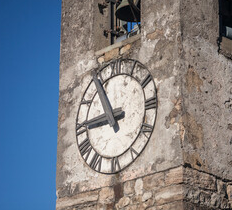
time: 8:53
